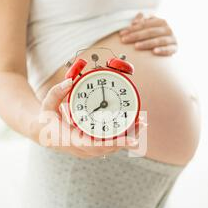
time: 8:00
